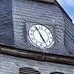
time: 4:55
